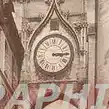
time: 3:14
